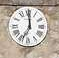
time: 7:00
